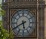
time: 5:40
